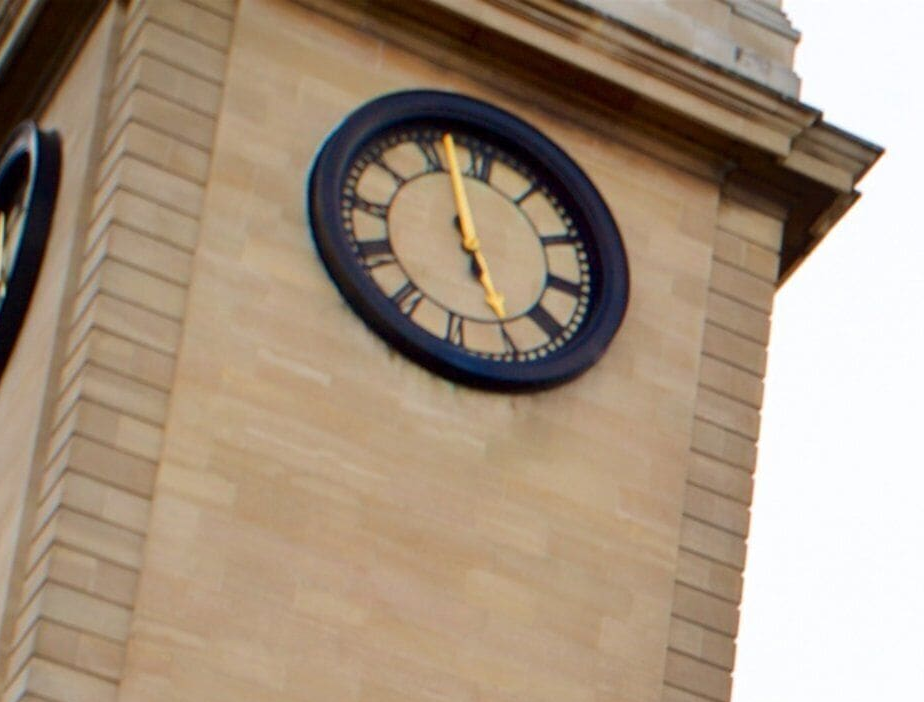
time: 4:56
